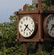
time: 7:21
